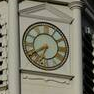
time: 6:40
